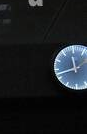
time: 11:42
